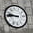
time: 8:46
